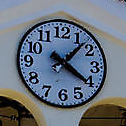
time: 4:07
